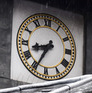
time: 8:34
